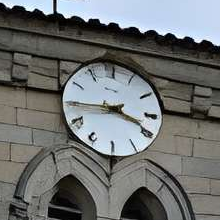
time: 3:44
